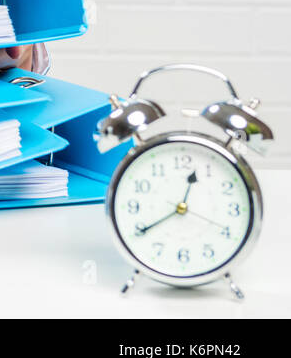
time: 12:40
